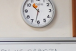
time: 10:32
